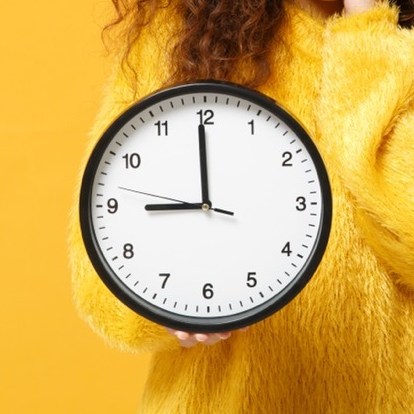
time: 8:59
